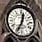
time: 12:34
